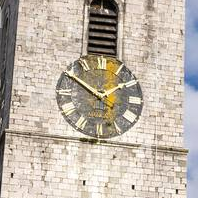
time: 1:50
